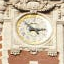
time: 2:52
